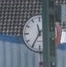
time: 11:35
